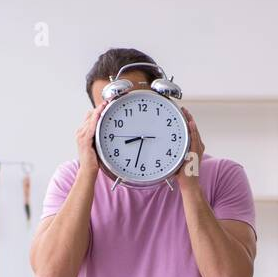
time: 8:32
